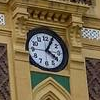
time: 4:04
